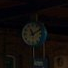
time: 11:10
